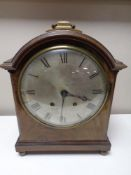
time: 6:18
